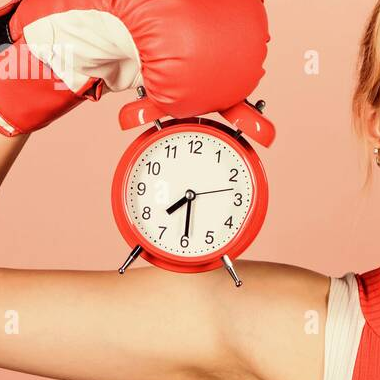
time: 7:29
